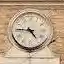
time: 4:45
